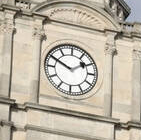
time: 1:49
